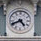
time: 4:40
